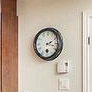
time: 2:18
